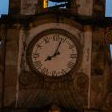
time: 8:03
